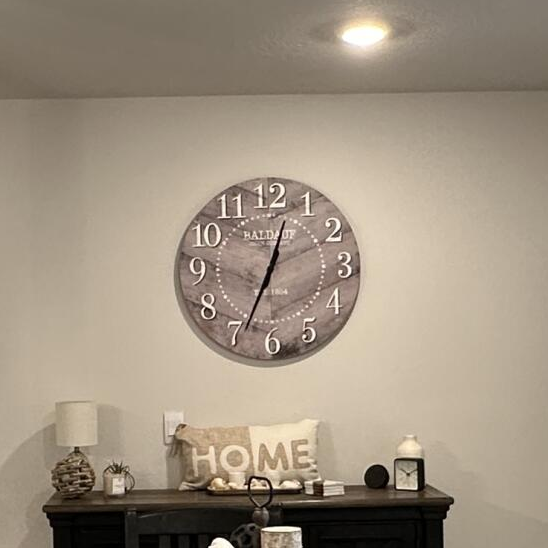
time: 12:34
